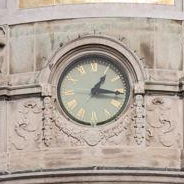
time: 1:16
